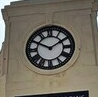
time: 1:49
